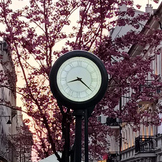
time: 8:21
